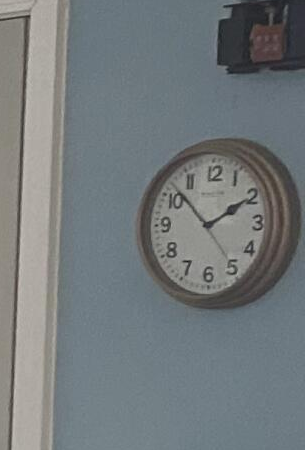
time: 1:52
